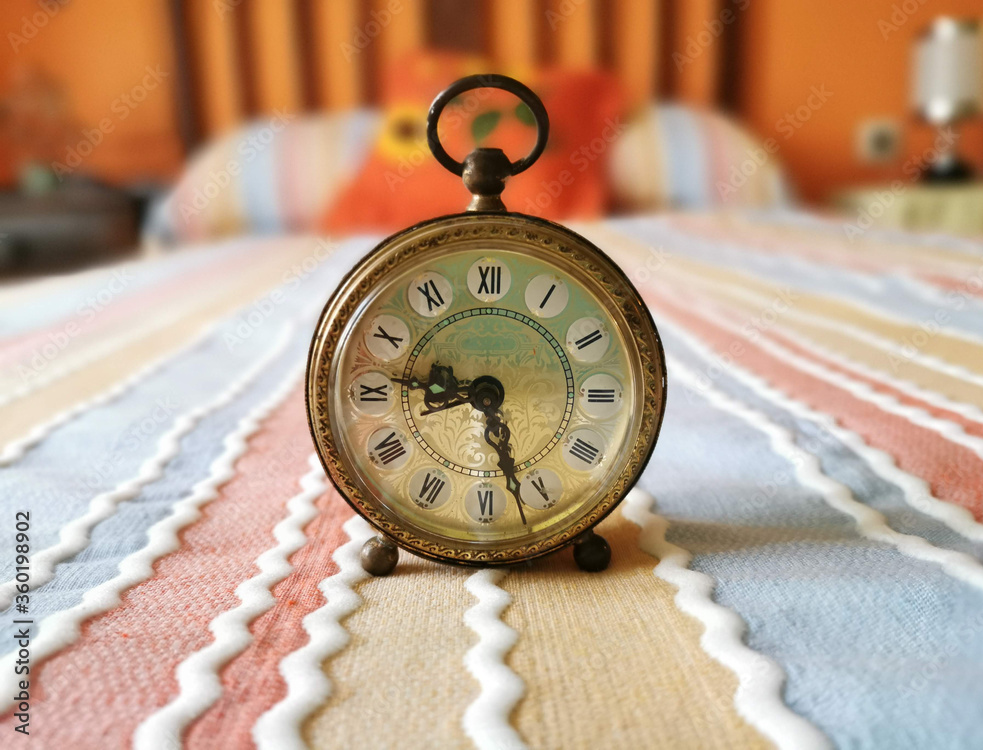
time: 9:27
